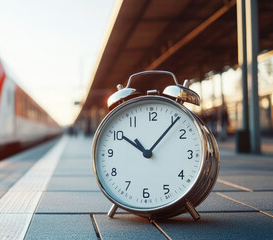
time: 10:06
